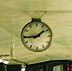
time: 1:44
